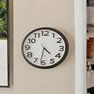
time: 4:31
